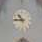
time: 10:45
